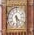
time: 4:28
